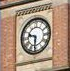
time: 9:31
